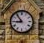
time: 8:53
